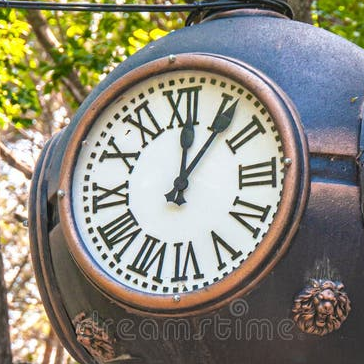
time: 12:06
